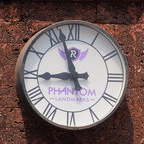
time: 8:57
